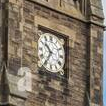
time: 10:35
